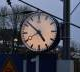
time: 4:52
